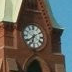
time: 6:38
